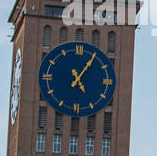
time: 5:05
